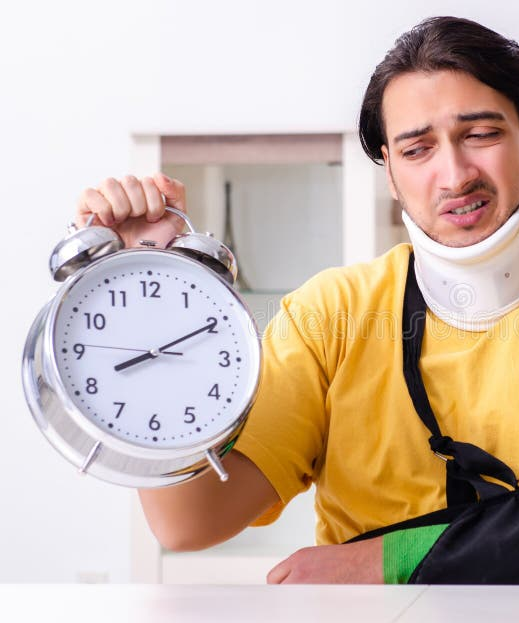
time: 8:10
